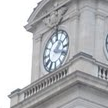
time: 1:18
